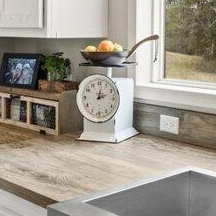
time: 2:01
